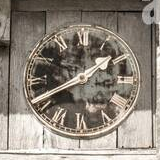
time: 1:41
